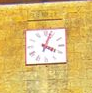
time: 4:03
